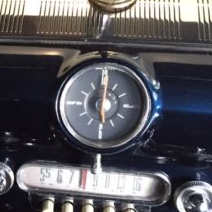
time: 6:00
